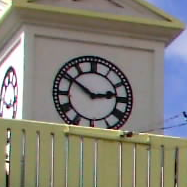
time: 2:50
